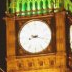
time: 8:17
